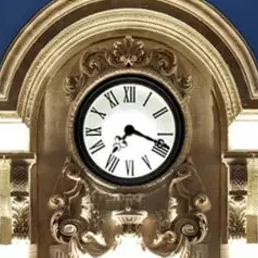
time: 7:18
